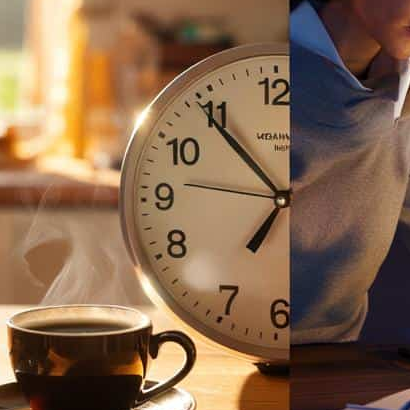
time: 6:53
